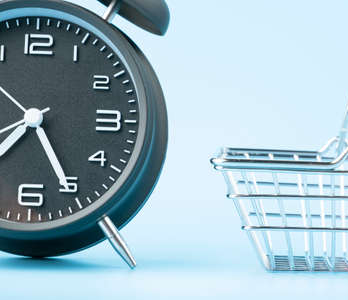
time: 7:25
